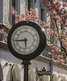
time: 5:43
